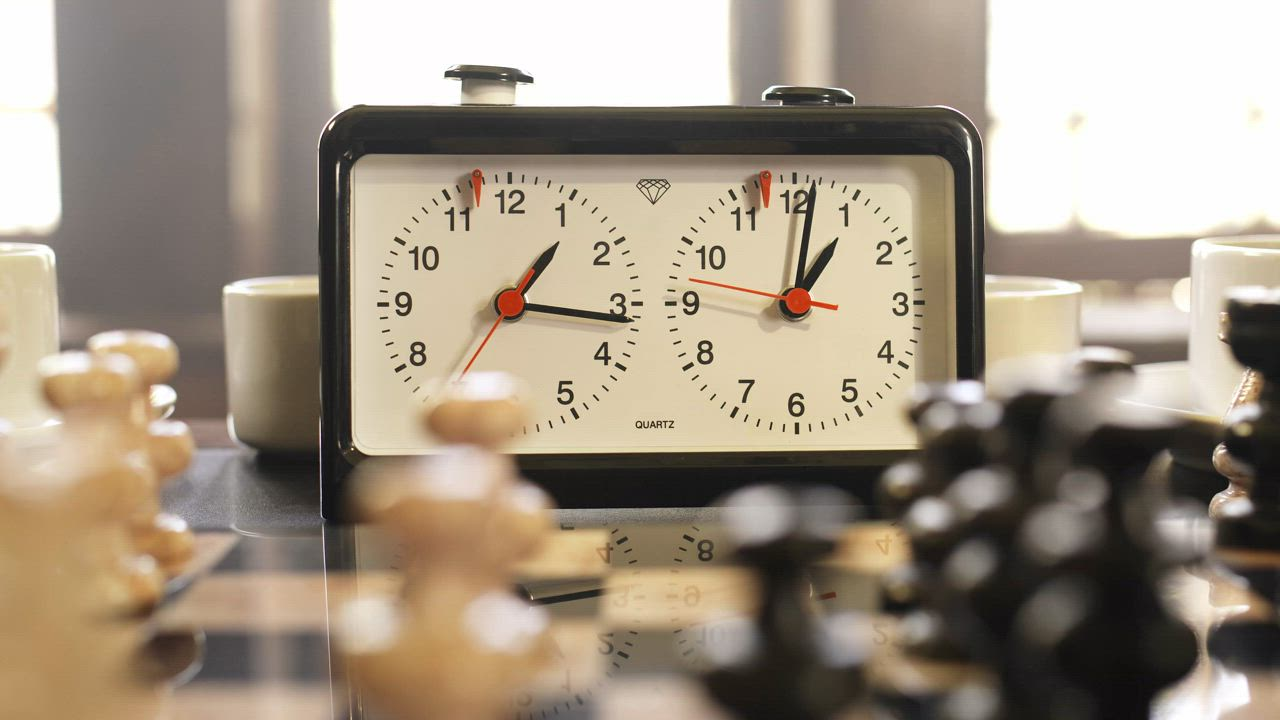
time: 1:16
